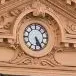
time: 5:24
